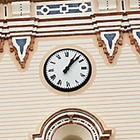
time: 1:07
